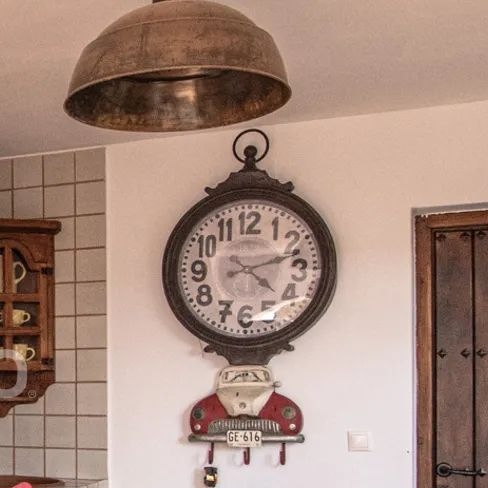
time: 4:12
